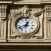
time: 12:41
